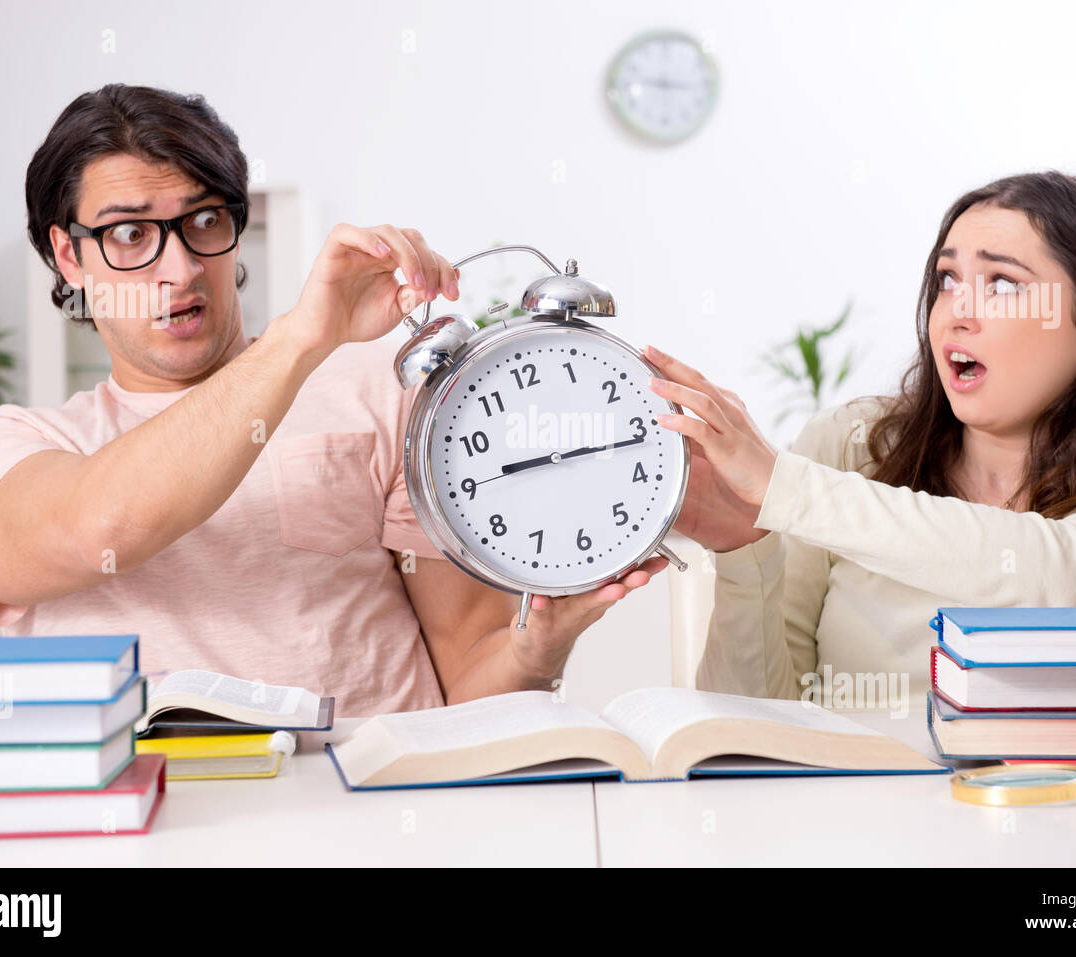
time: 9:16
